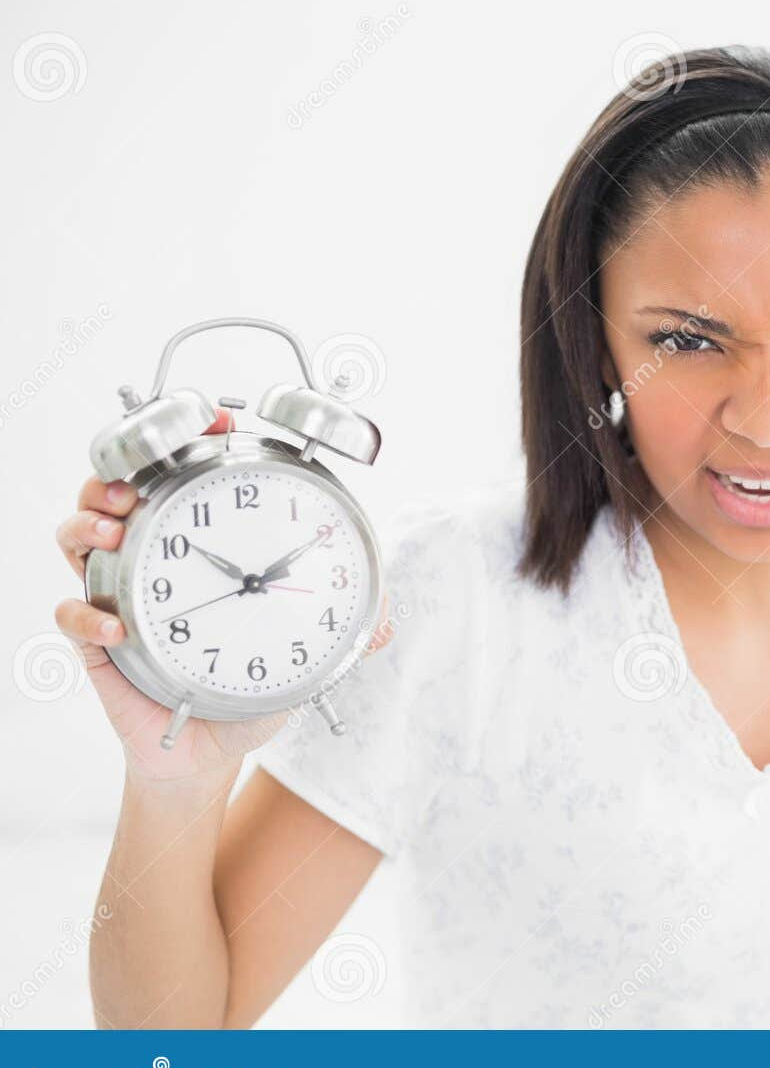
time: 1:51
